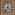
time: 4:35
